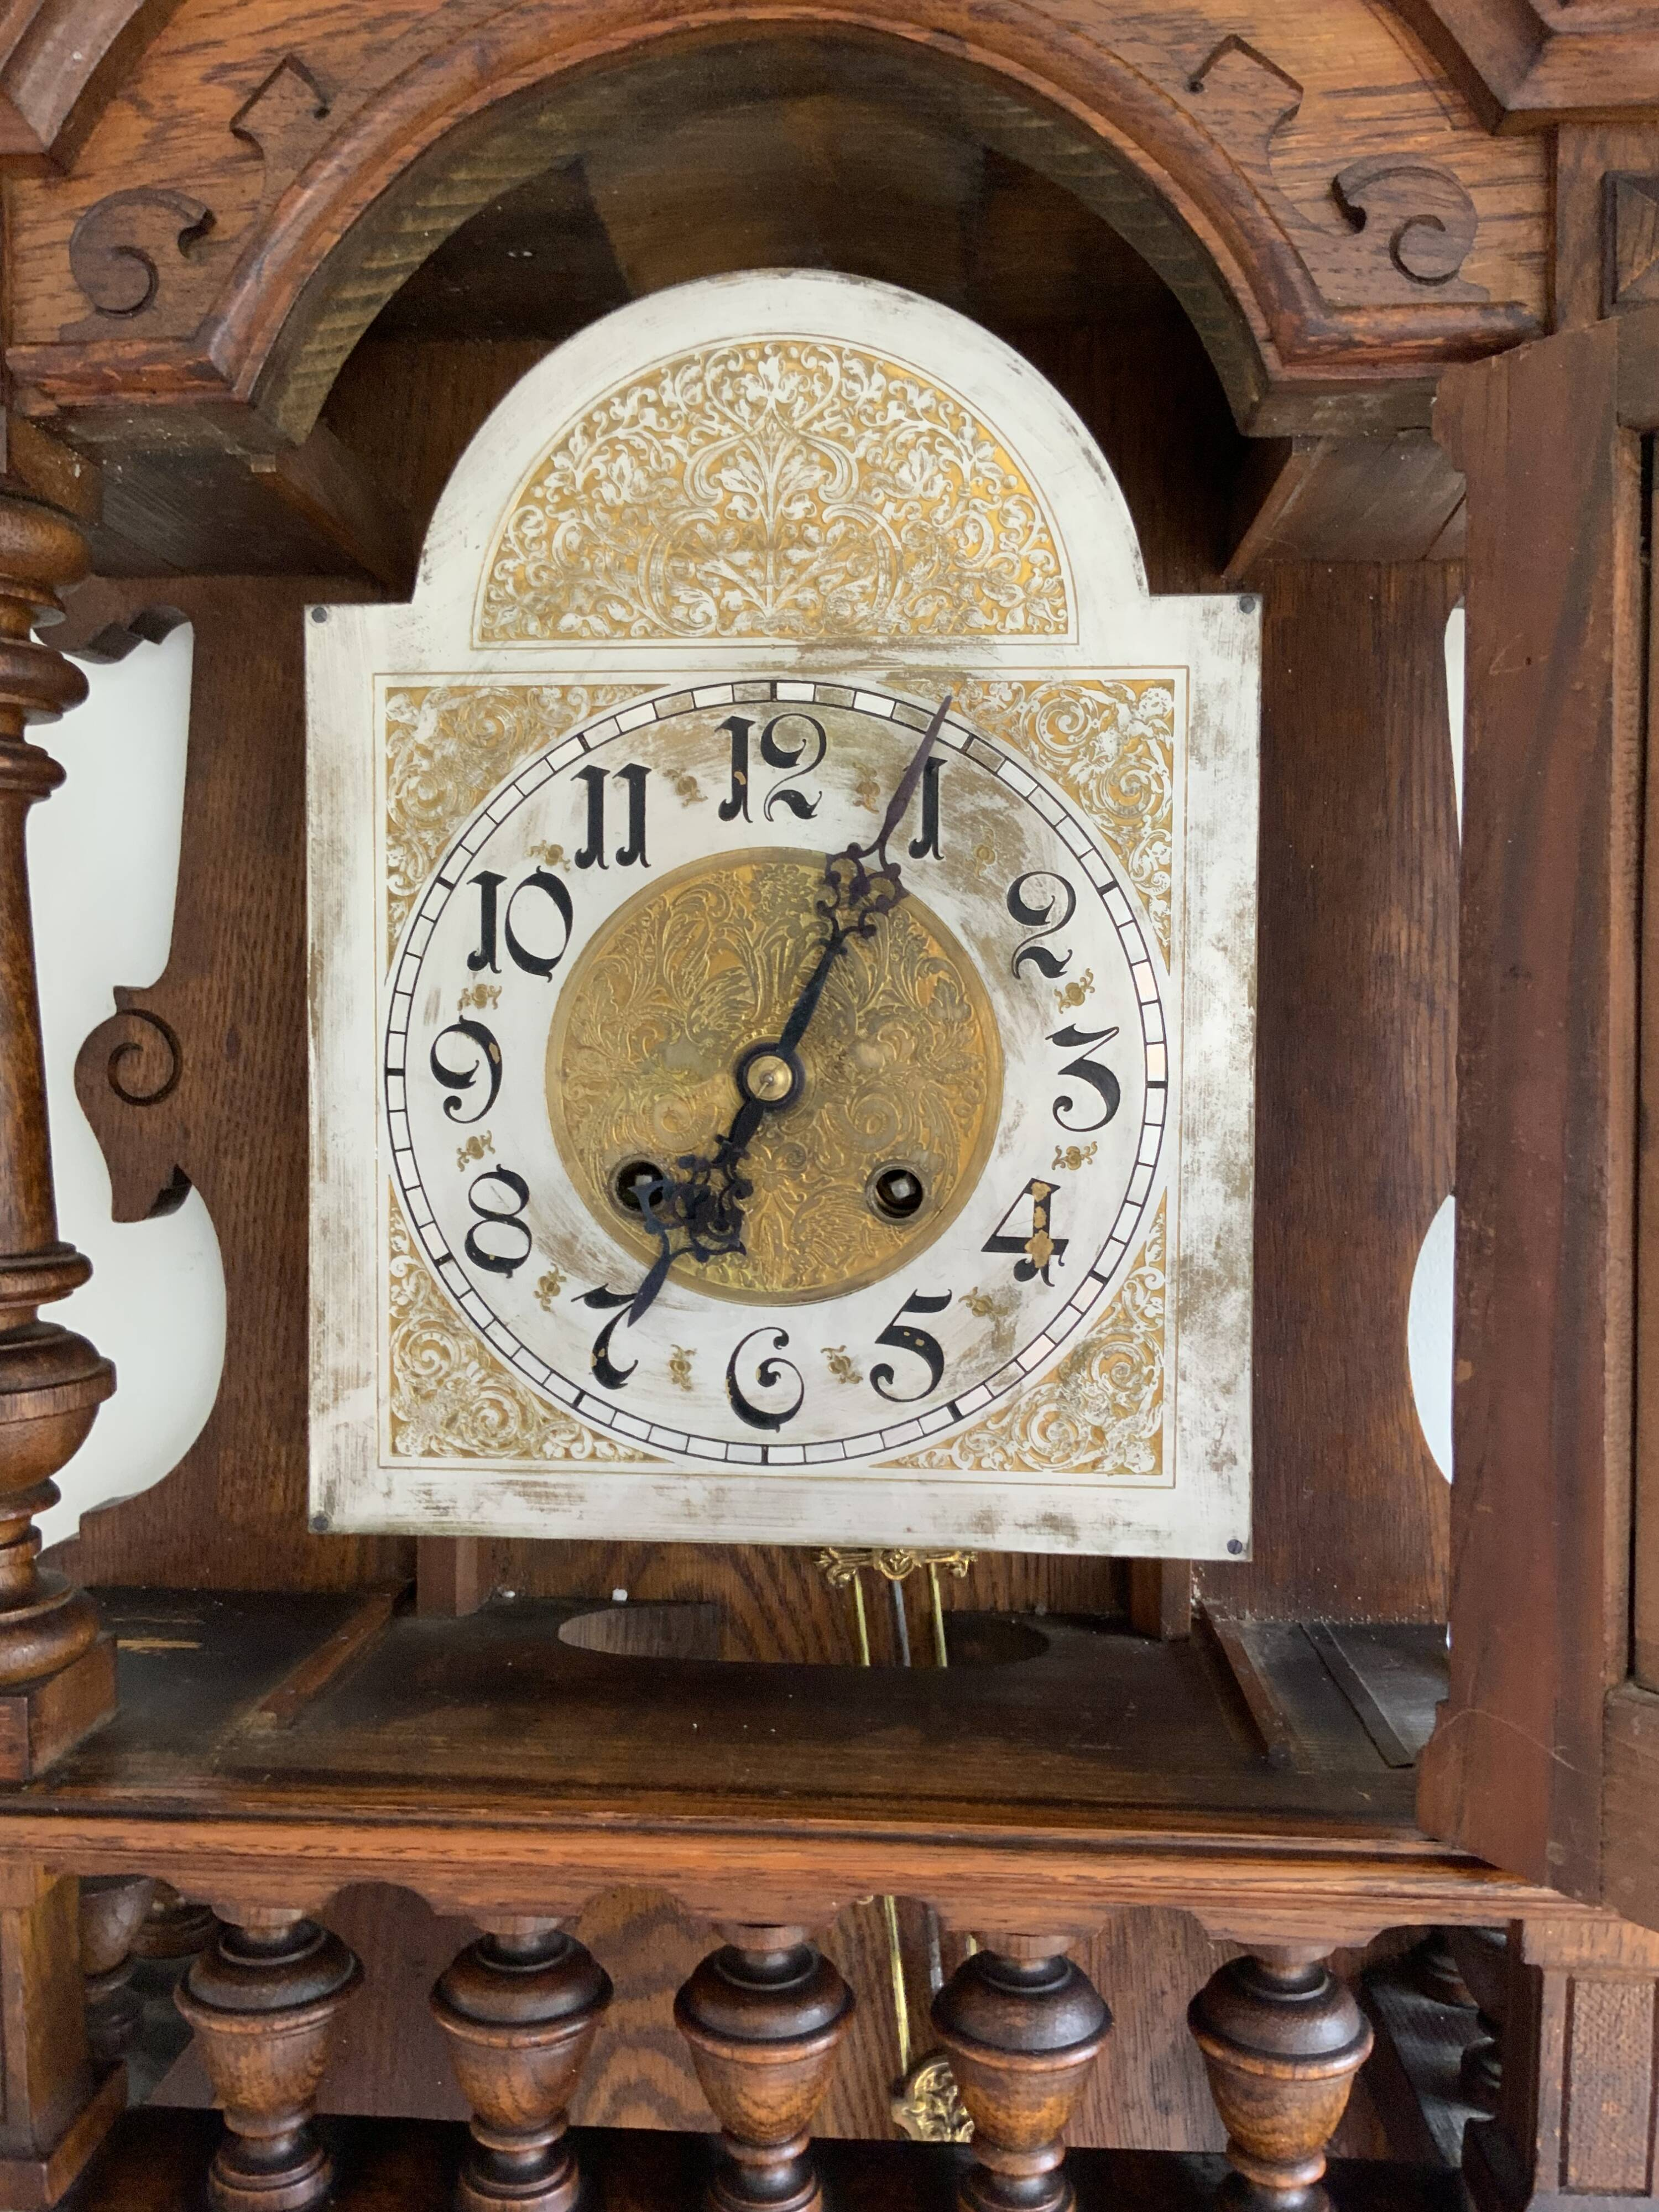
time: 7:04
